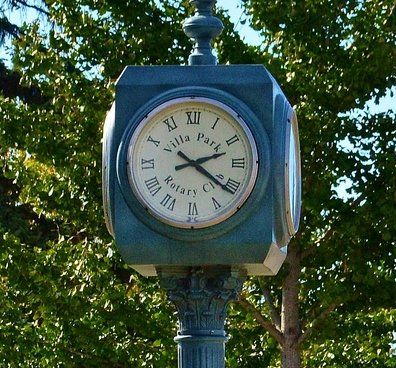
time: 2:21
